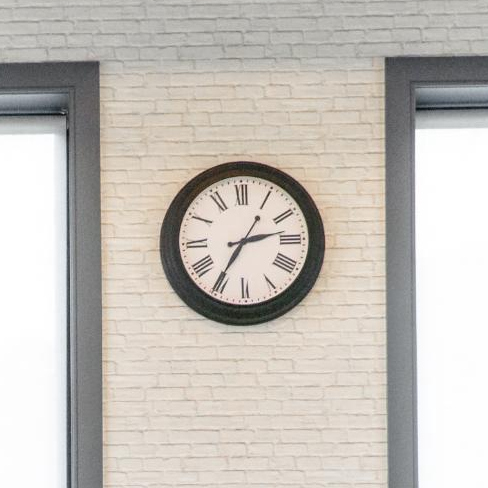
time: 2:35
